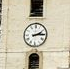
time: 2:14
